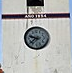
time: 9:38
